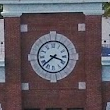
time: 3:38
